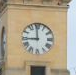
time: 8:59
